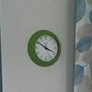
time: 3:50
